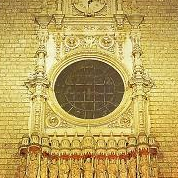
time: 5:45
